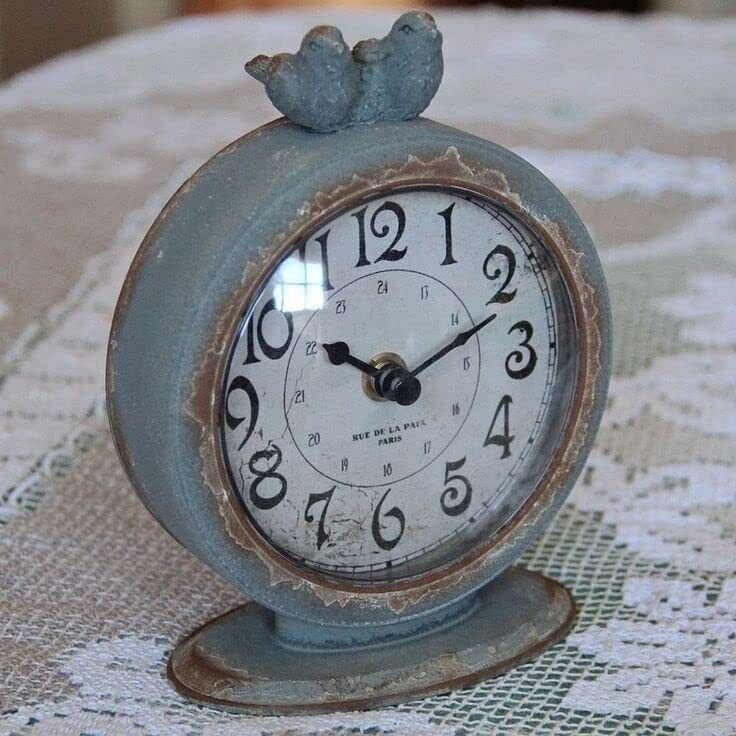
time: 10:11
